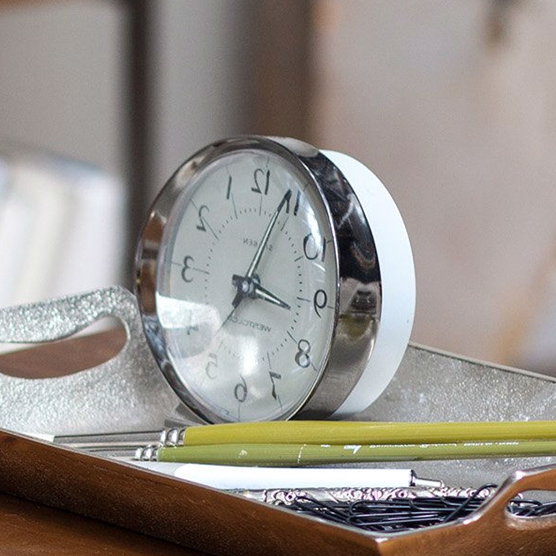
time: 3:04
